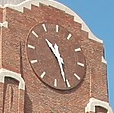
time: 10:26
